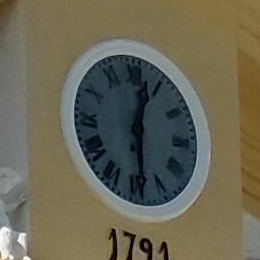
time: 12:29
